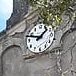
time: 1:47
